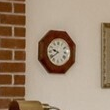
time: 9:38
